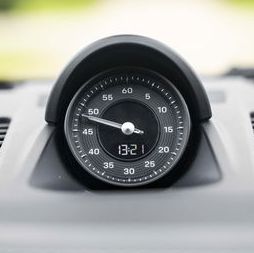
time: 9:48
